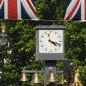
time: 4:18
